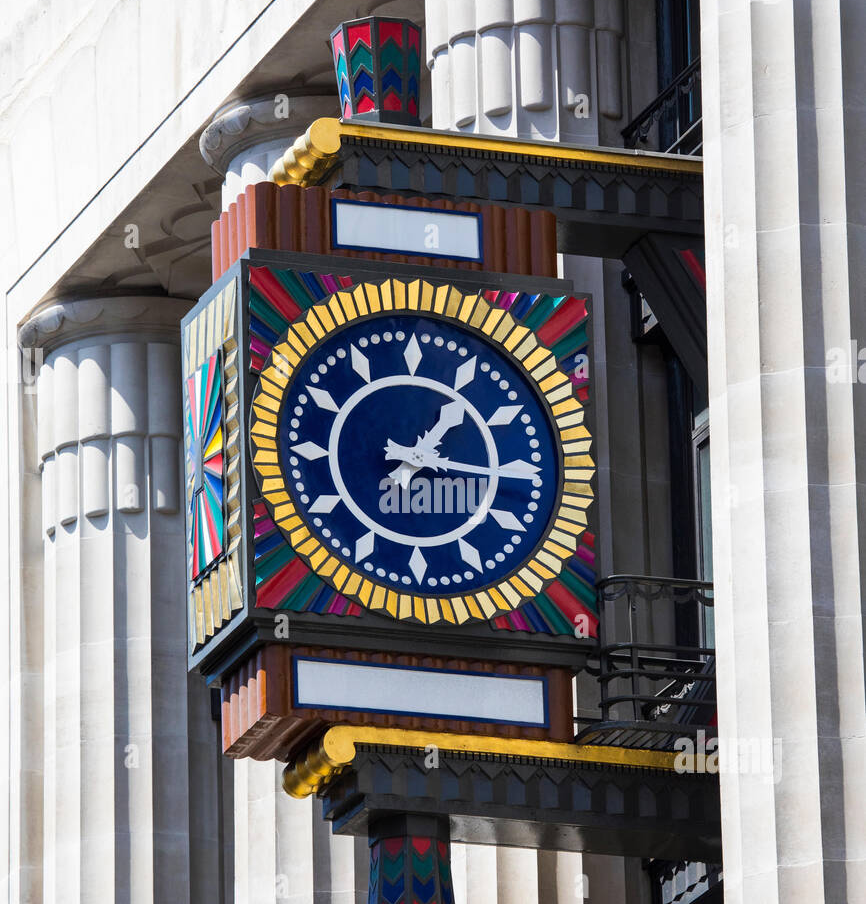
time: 1:15
